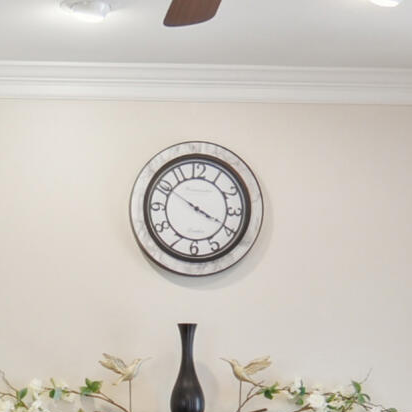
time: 3:50
